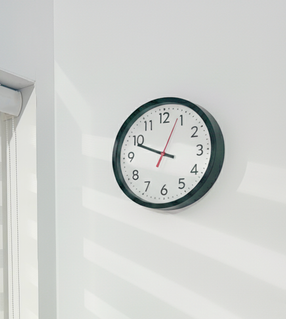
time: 9:48
